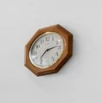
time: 7:13
